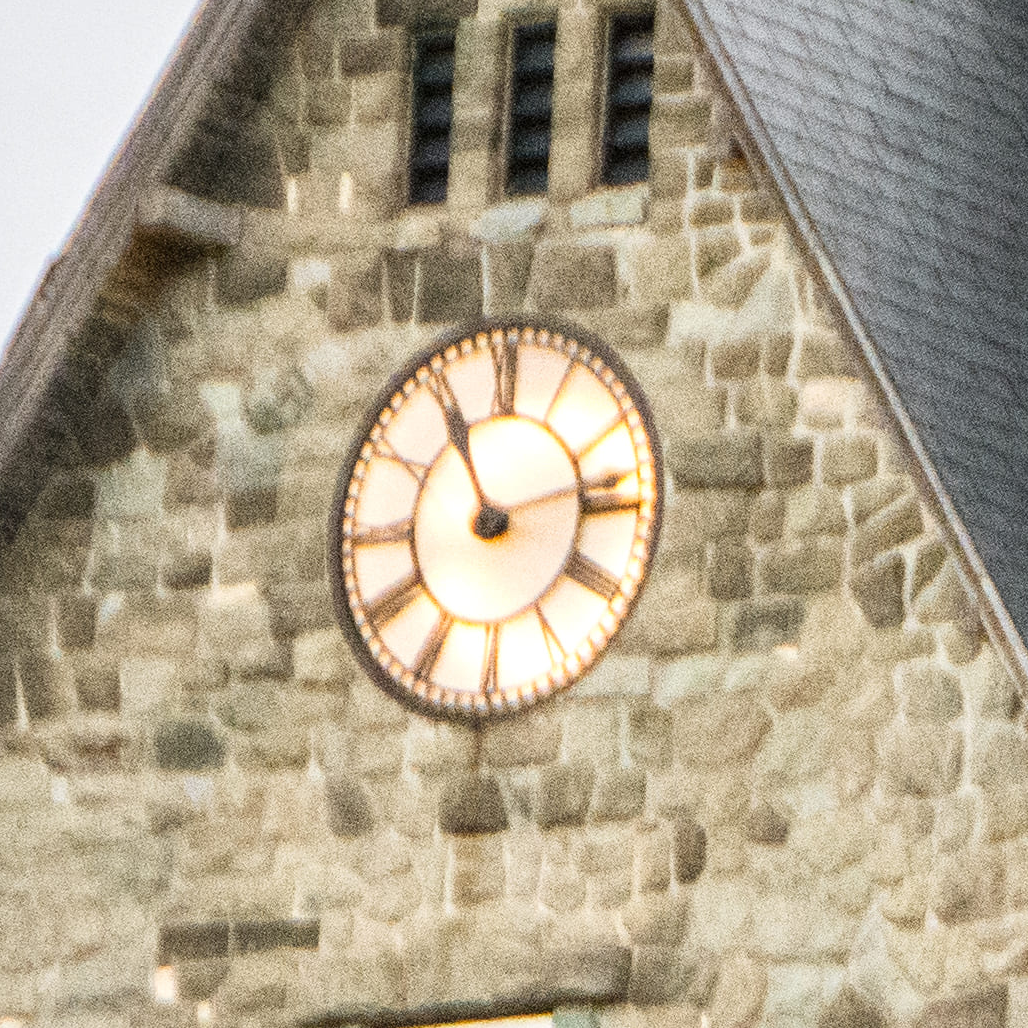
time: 11:13
